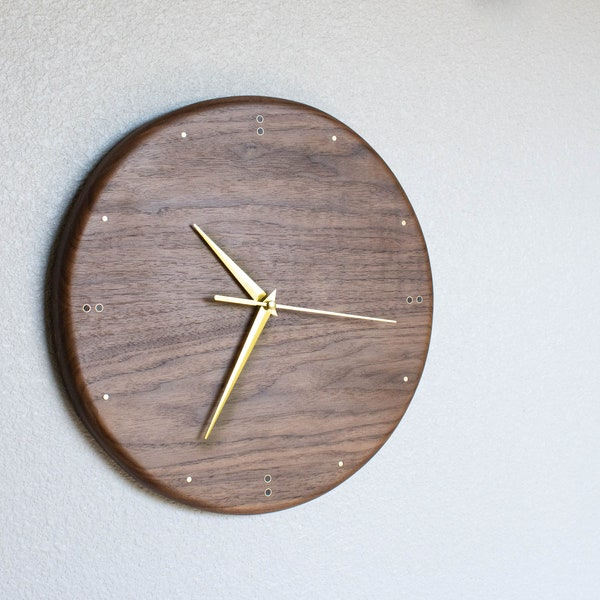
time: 10:34
